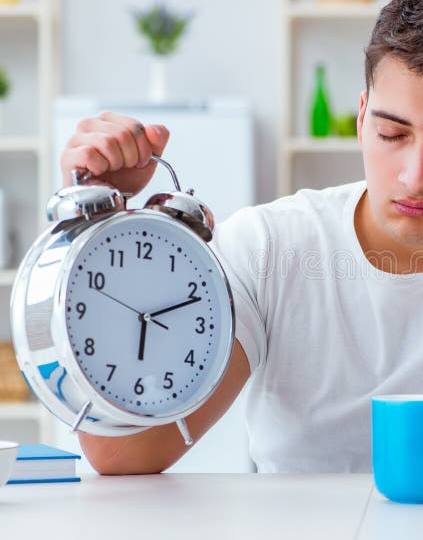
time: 6:11
